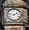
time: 1:46
